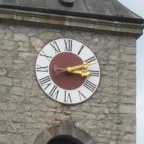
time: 2:15
